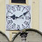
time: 9:09
